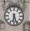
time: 6:27
